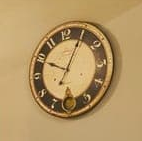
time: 10:04
